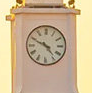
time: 4:49
